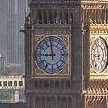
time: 8:58
